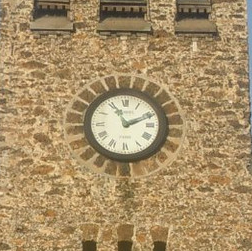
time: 11:11
